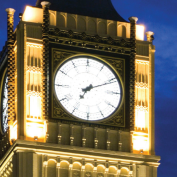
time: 7:10
